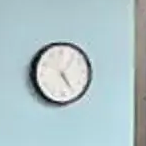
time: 5:06
